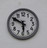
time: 5:49
